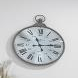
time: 11:14
